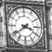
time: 3:39
